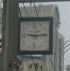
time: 9:13
